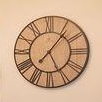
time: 5:06
